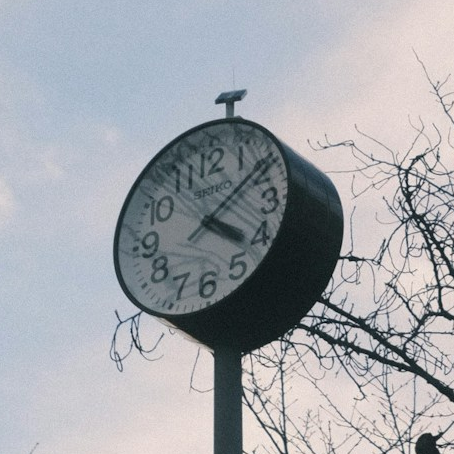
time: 4:08
